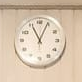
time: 11:04
